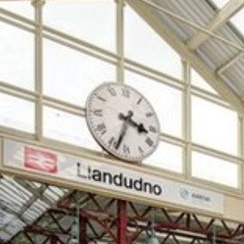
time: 3:33
